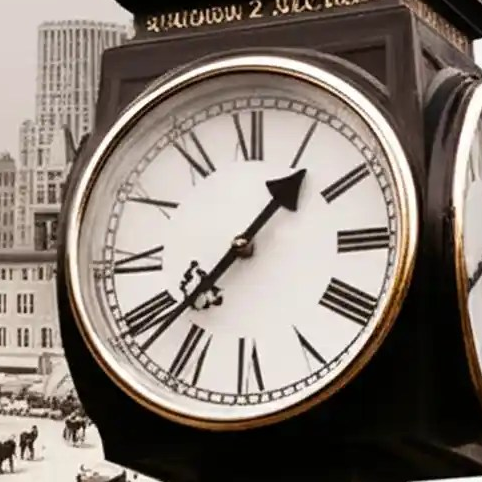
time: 1:38
